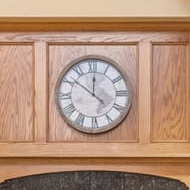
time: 11:51
